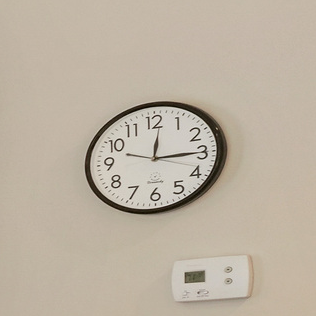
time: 12:14
